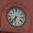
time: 6:36
